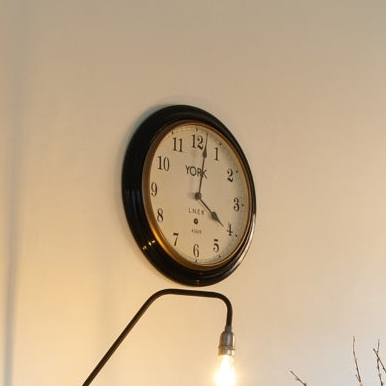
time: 4:02
